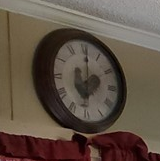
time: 7:00
